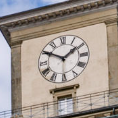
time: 1:50
